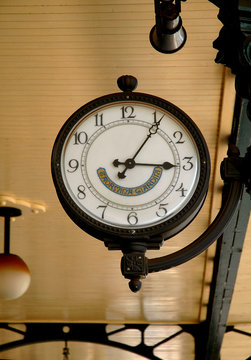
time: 3:05
